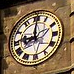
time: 9:00
